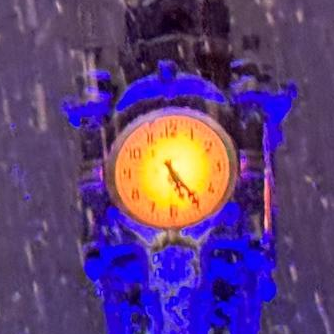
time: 5:24
